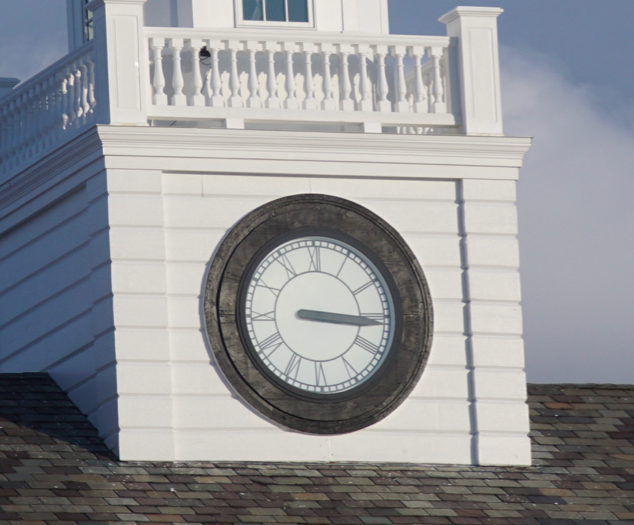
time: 3:15
